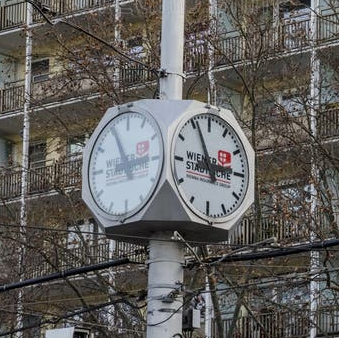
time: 2:56
